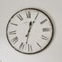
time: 12:32
